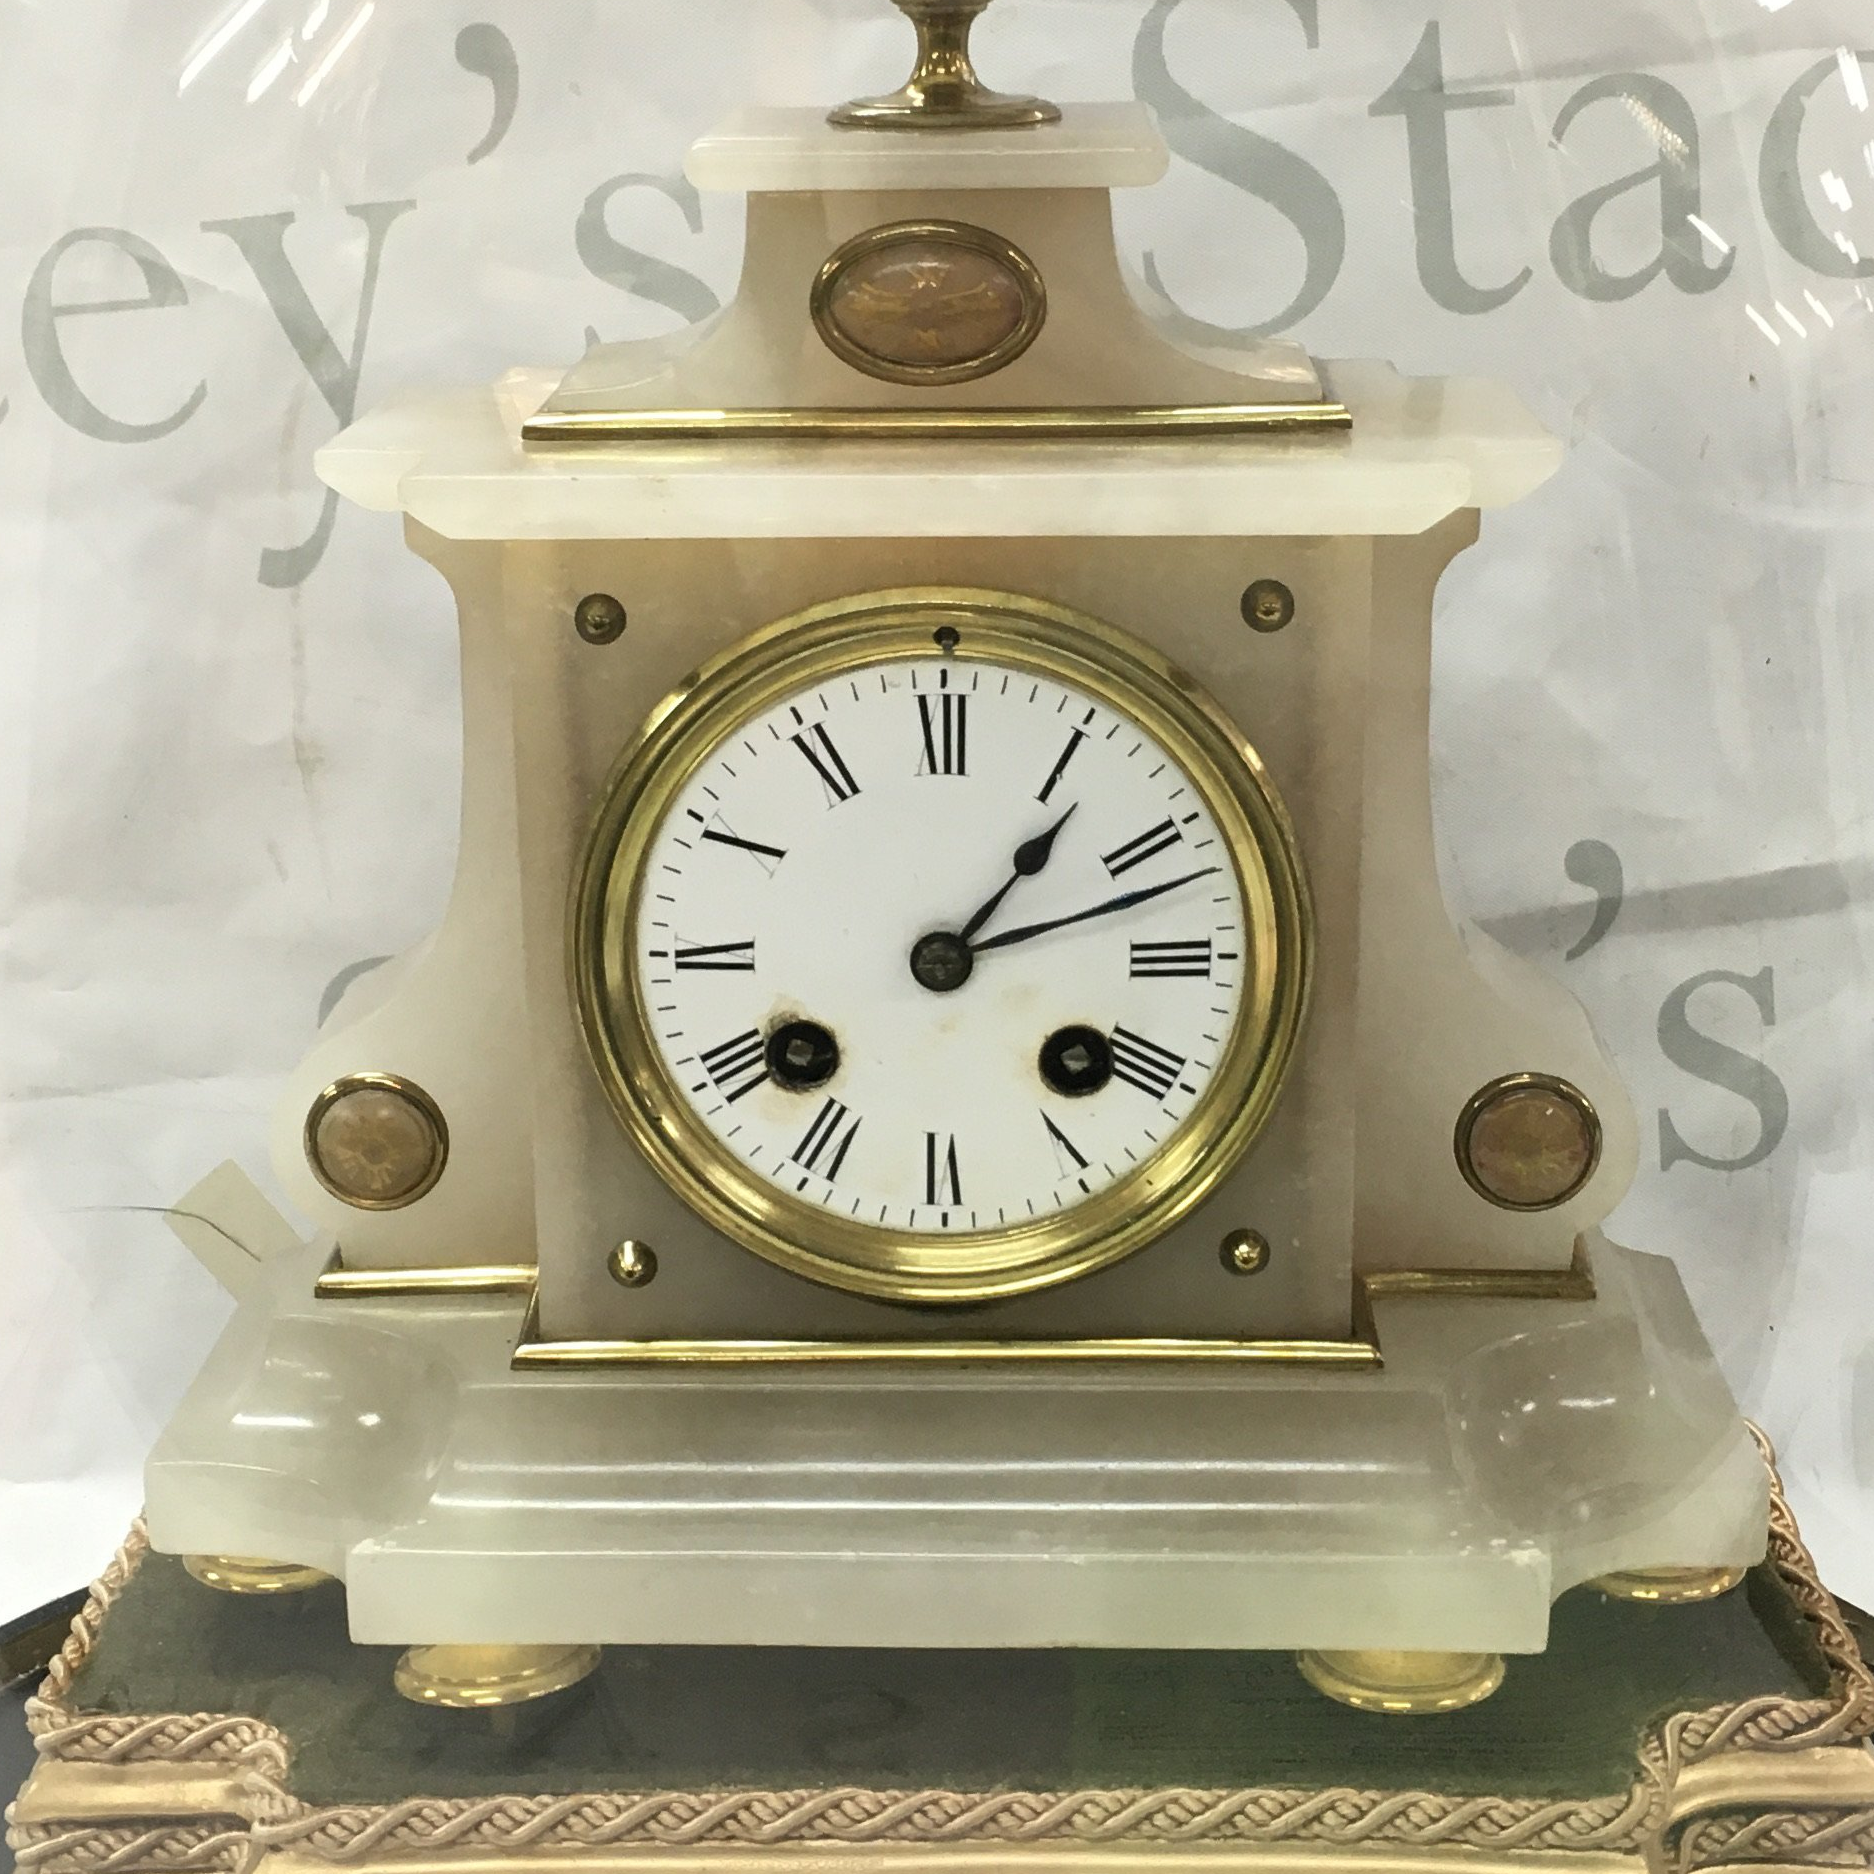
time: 1:11
